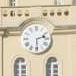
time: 2:29
